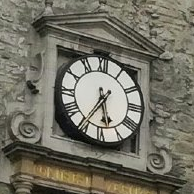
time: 5:35
